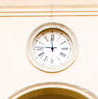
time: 11:46
